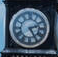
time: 2:25
